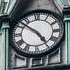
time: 4:51
